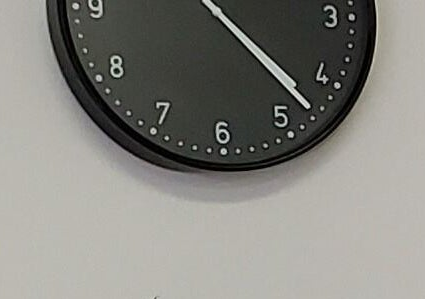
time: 4:22
